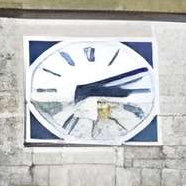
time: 3:11
